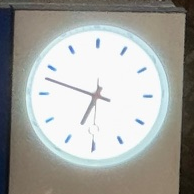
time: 6:47
